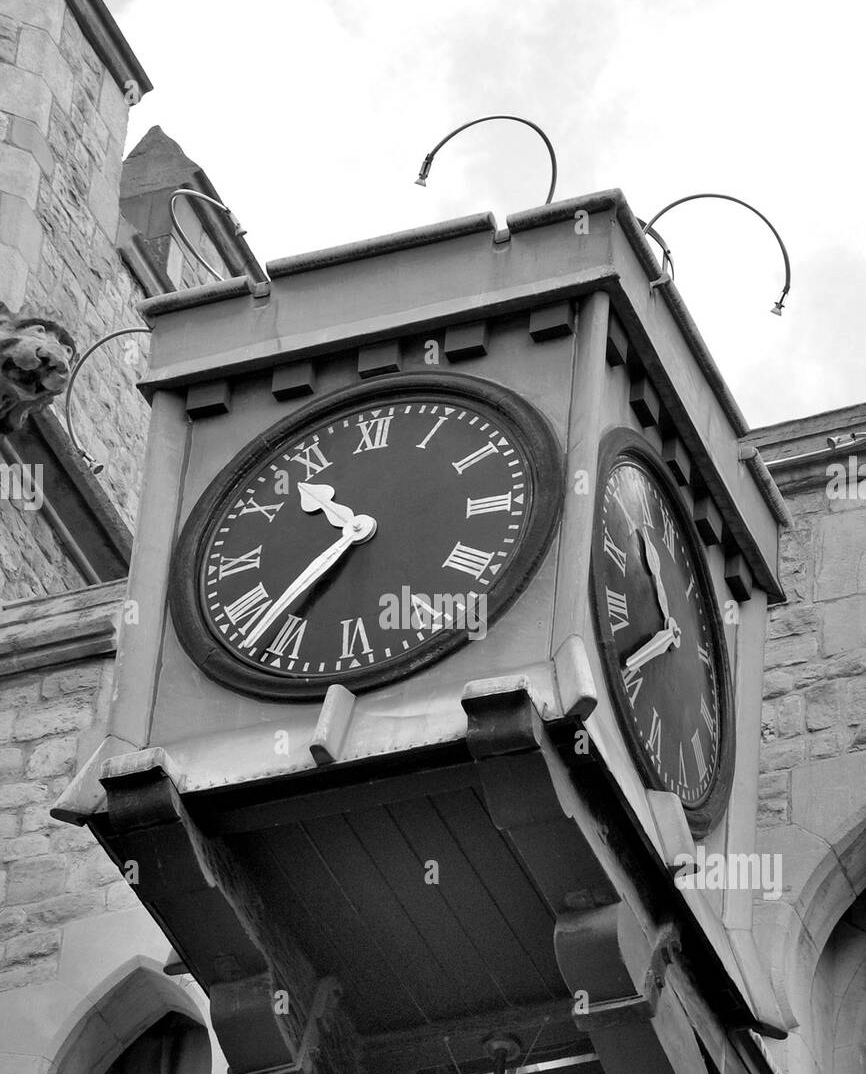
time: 10:37
